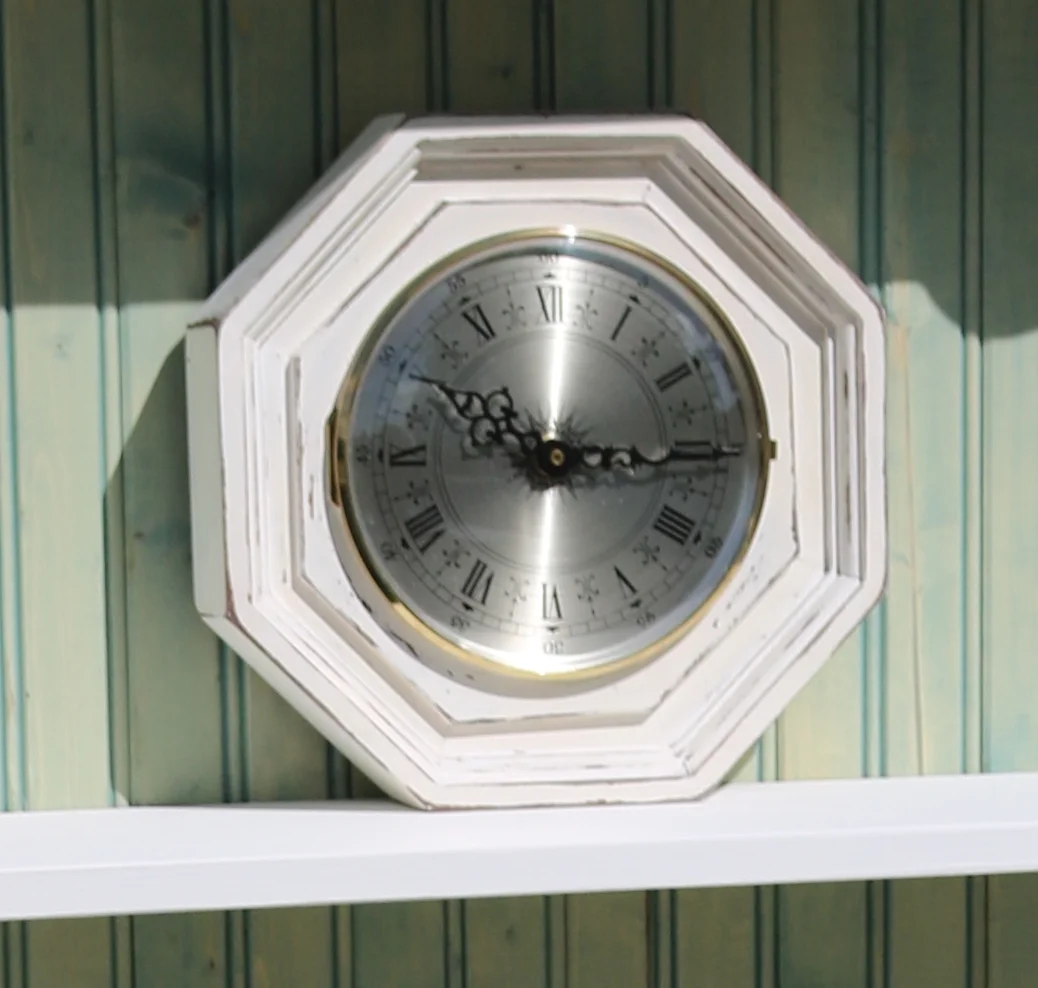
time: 10:15
